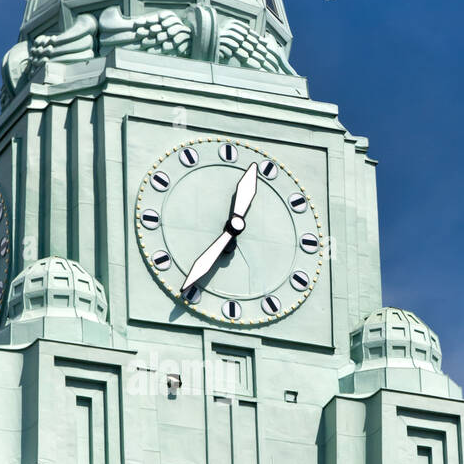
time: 12:35
